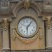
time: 6:06
